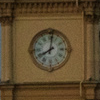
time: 8:01
